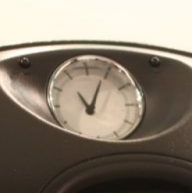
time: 11:04
